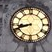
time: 8:41
